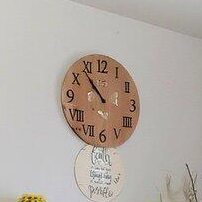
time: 10:53
